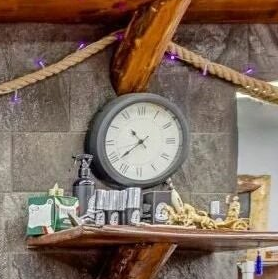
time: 10:38
